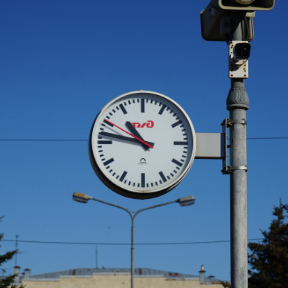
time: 10:47
